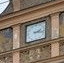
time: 2:16
